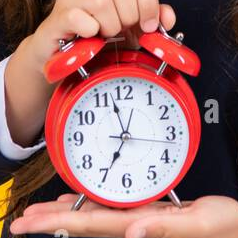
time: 6:57
